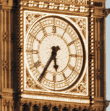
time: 5:35
